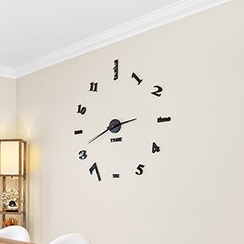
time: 2:41
